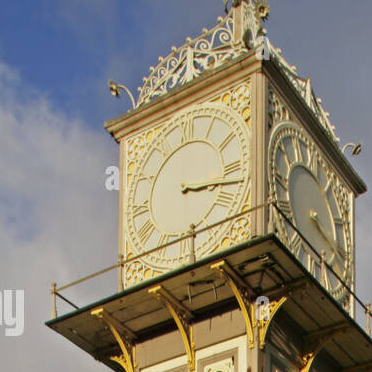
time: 3:17
